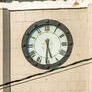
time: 5:30
